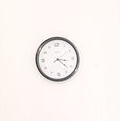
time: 3:22
